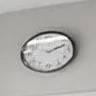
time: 2:11
